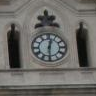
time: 12:30
